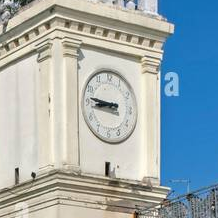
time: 8:46
